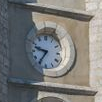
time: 9:35
